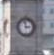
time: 2:58
